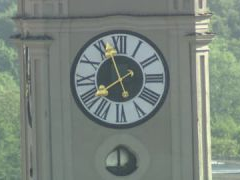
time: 7:57
